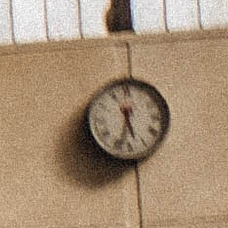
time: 5:32
